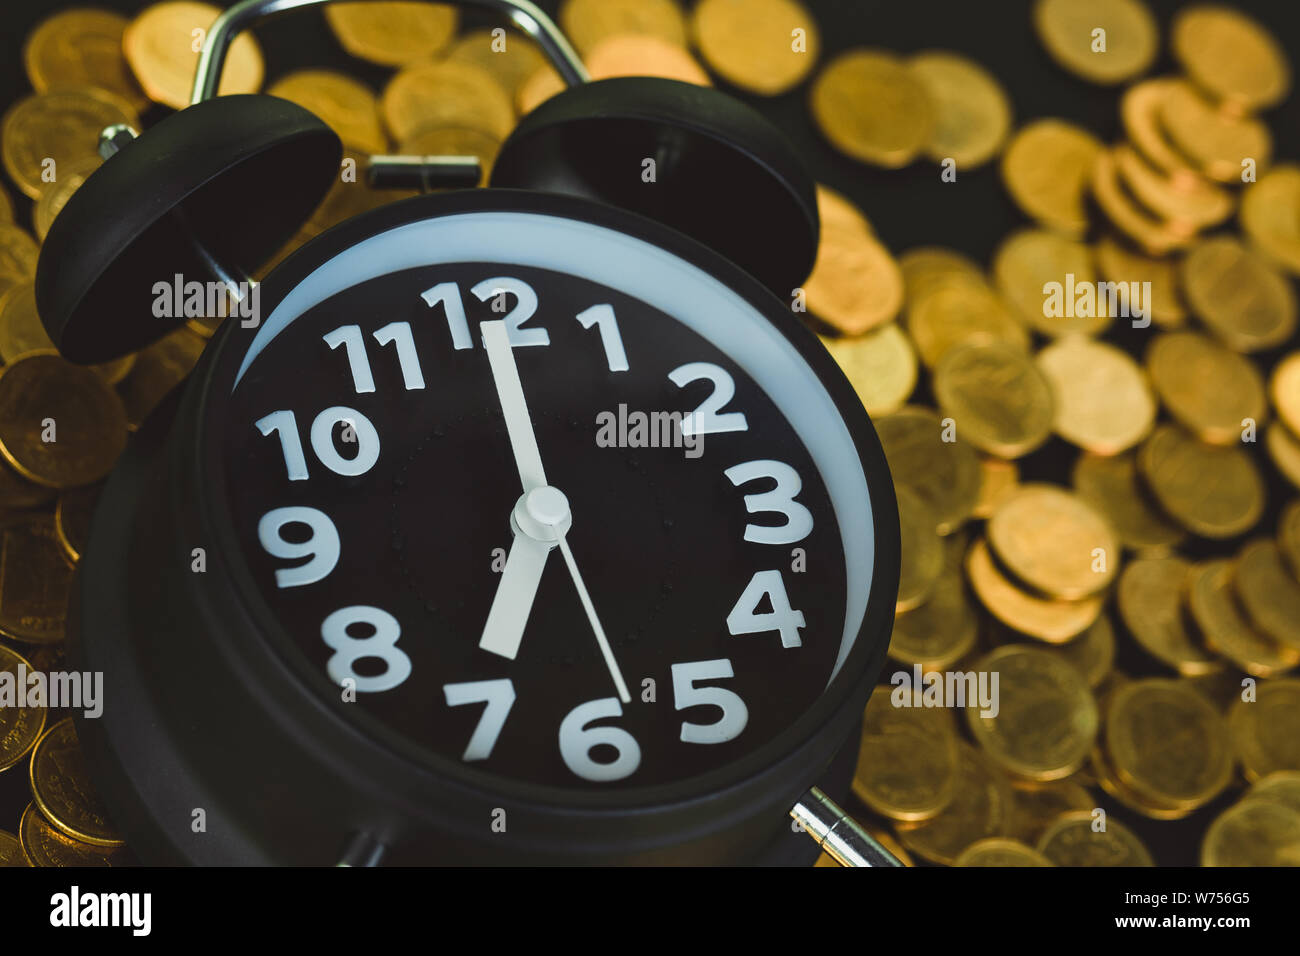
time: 7:00
